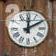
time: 12:09
